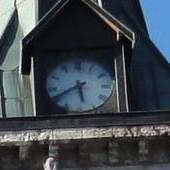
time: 5:40
